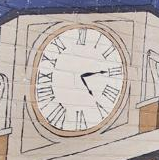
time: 5:14
